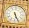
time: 5:26
